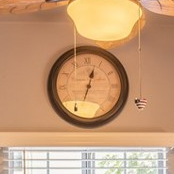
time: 12:33
